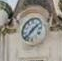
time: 1:37
